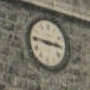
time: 2:45
